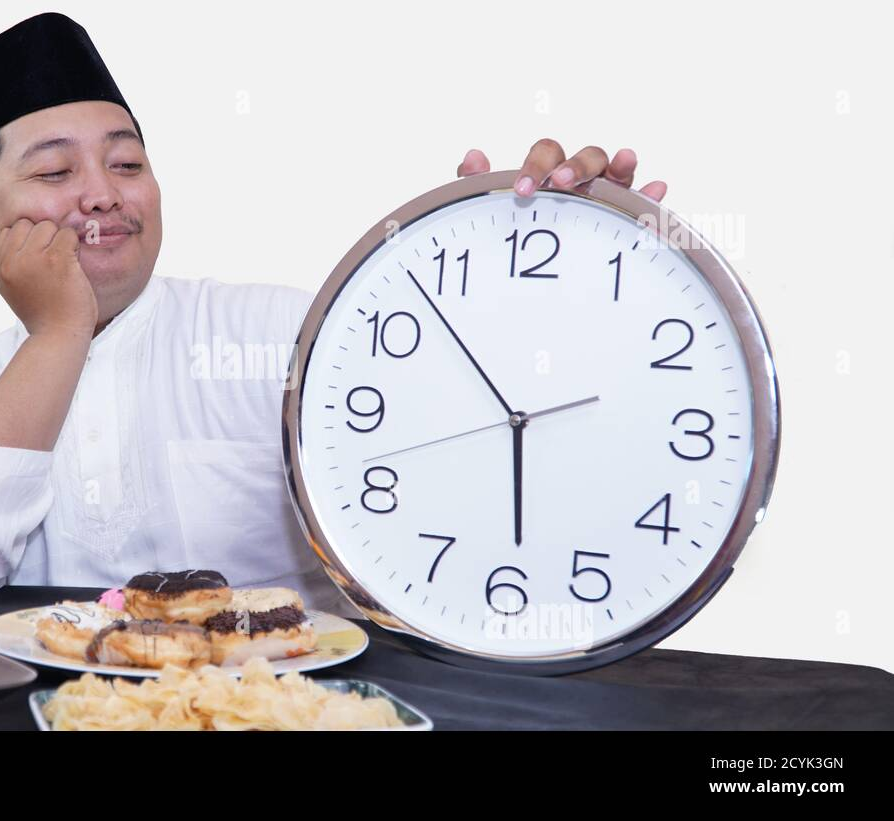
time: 5:53
